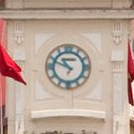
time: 10:49
